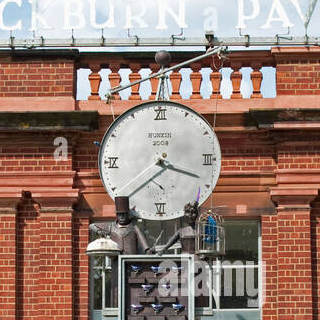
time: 3:38
